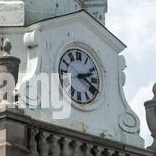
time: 2:19
